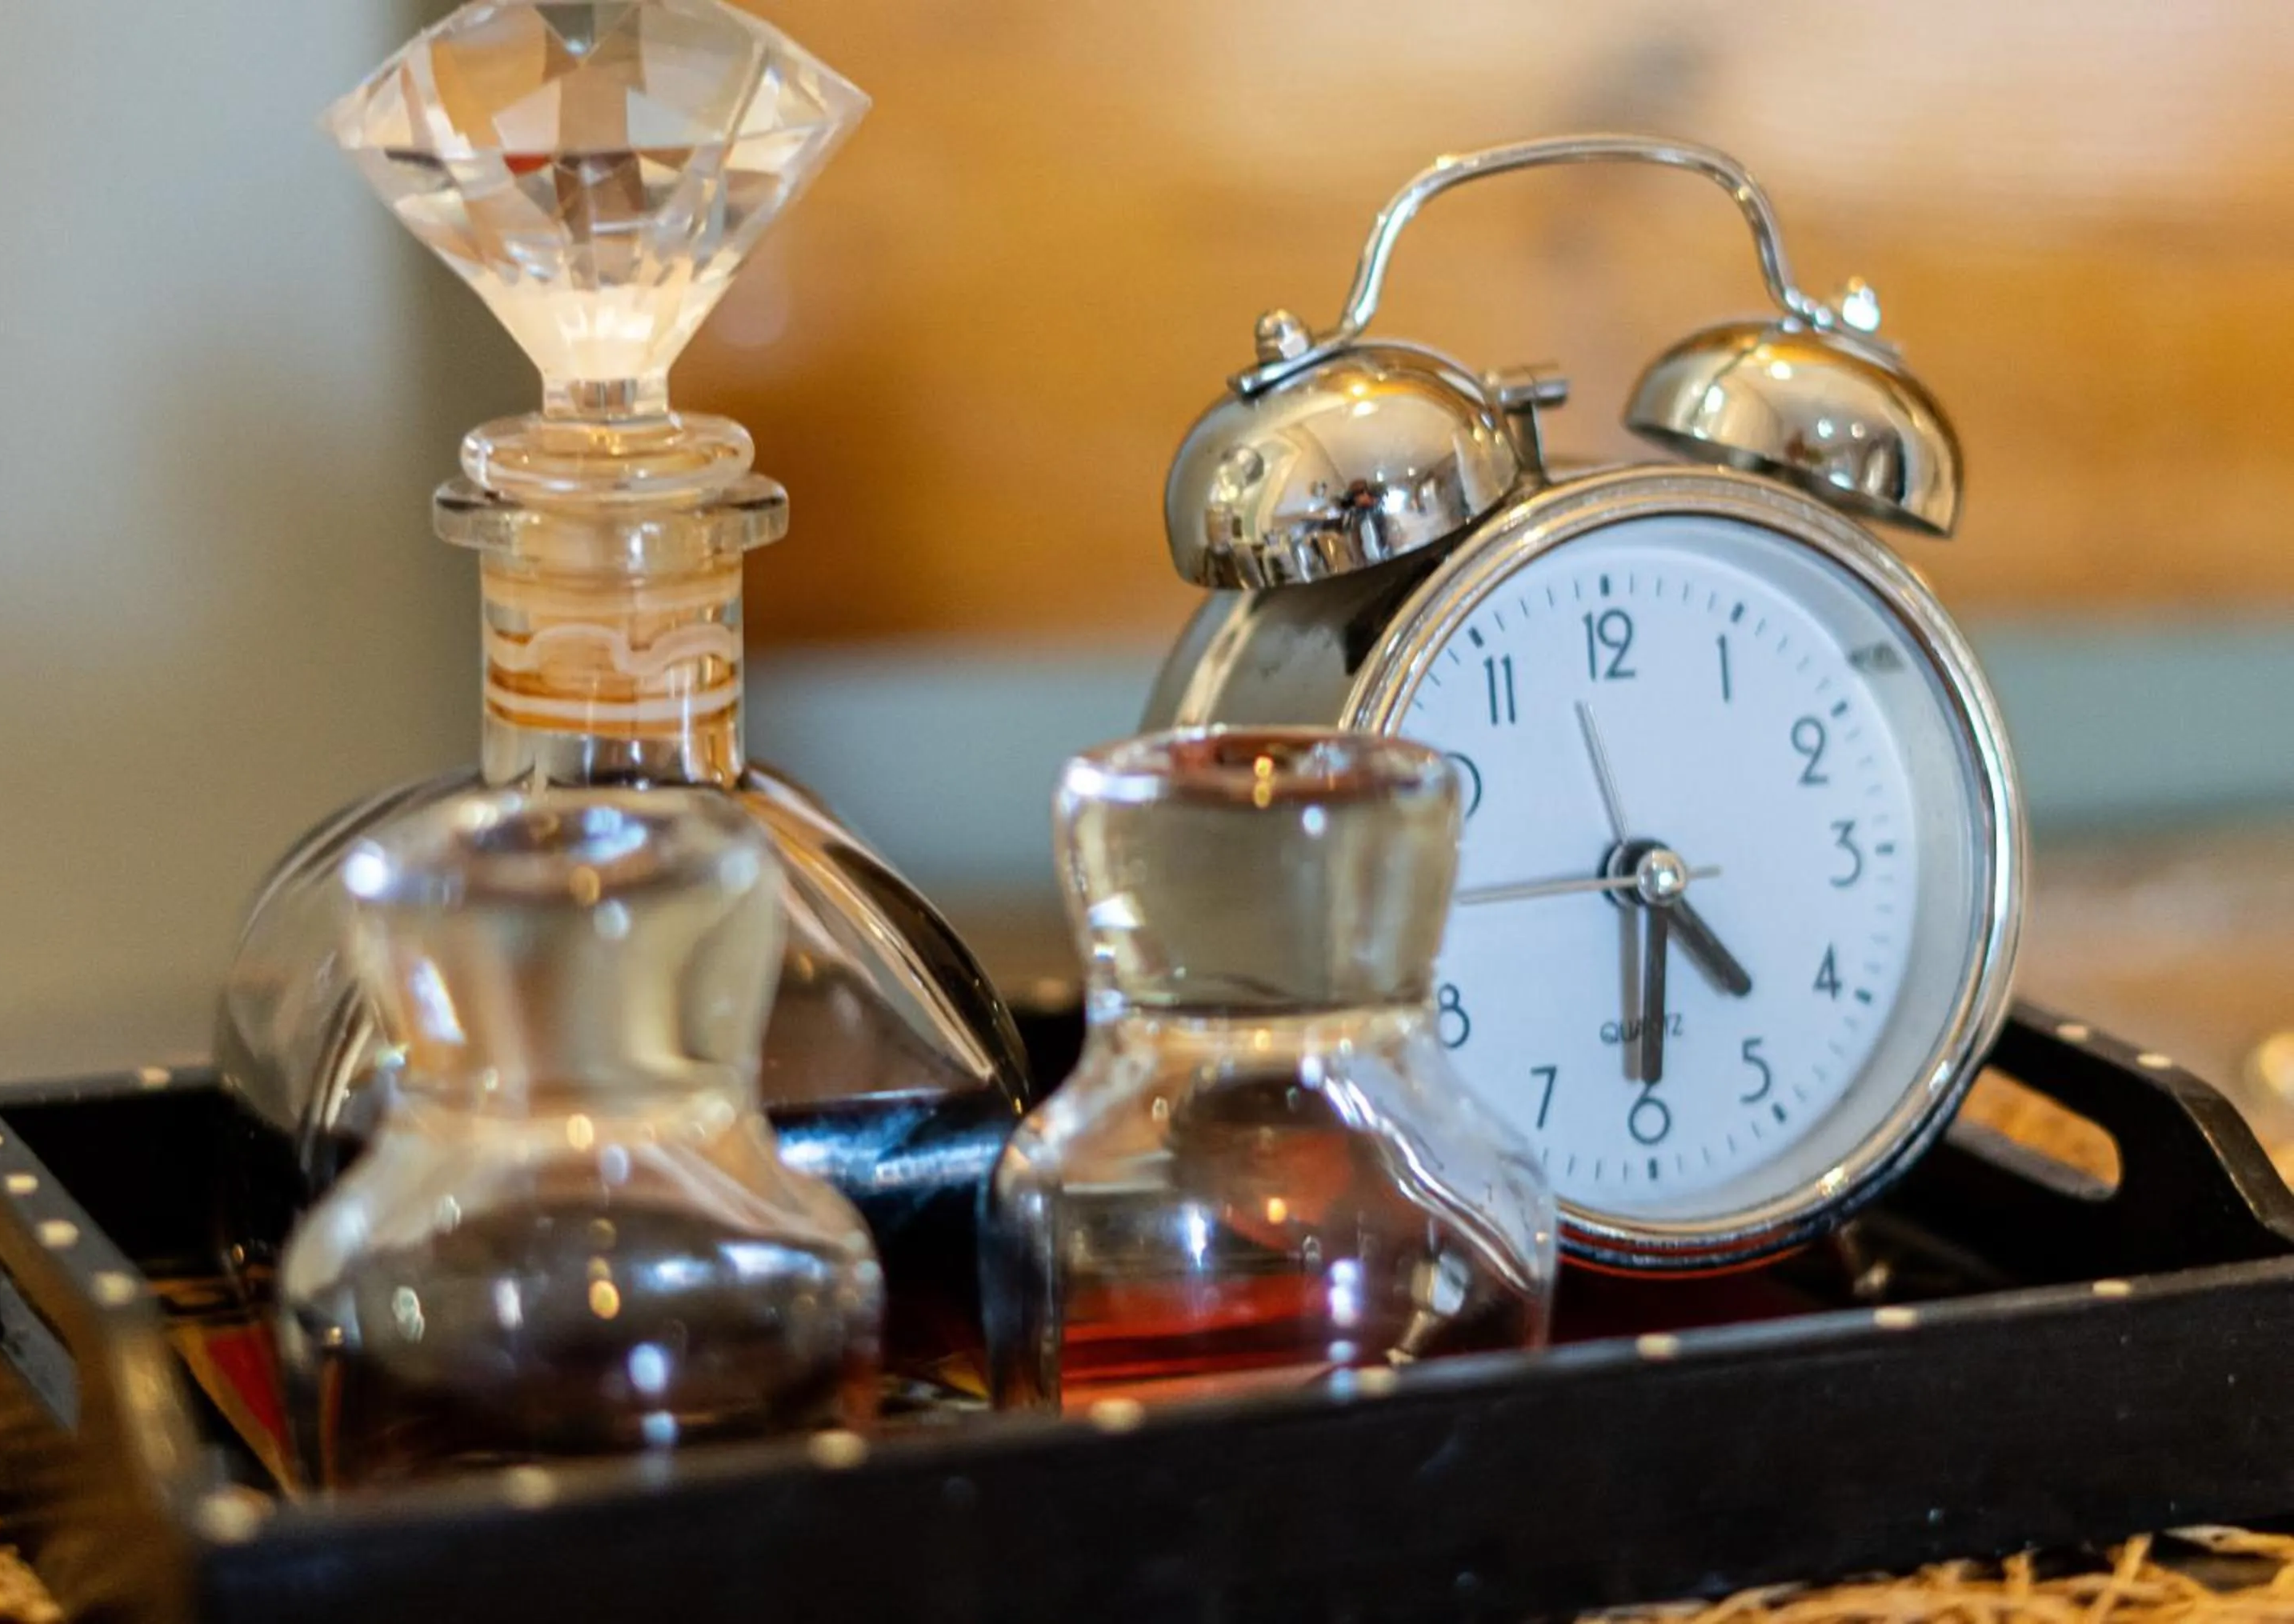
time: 4:30
